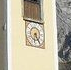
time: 6:24
